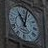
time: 11:02
